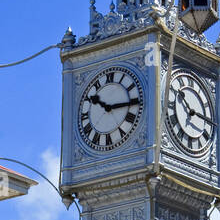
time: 10:15
